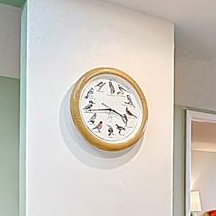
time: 3:43
